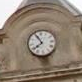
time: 7:54
